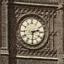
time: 2:29
